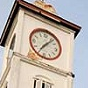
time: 7:06
